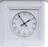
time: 1:54
